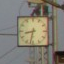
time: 8:32
